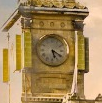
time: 5:20
